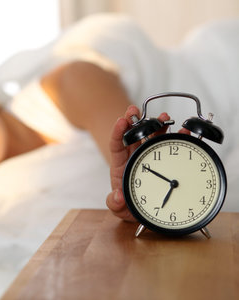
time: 6:50
